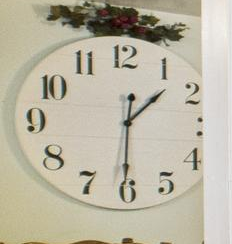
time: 1:30
